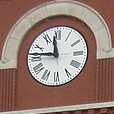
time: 11:46
